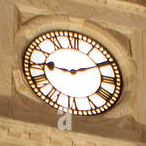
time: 9:10
